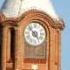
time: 4:52
